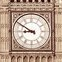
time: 8:50
